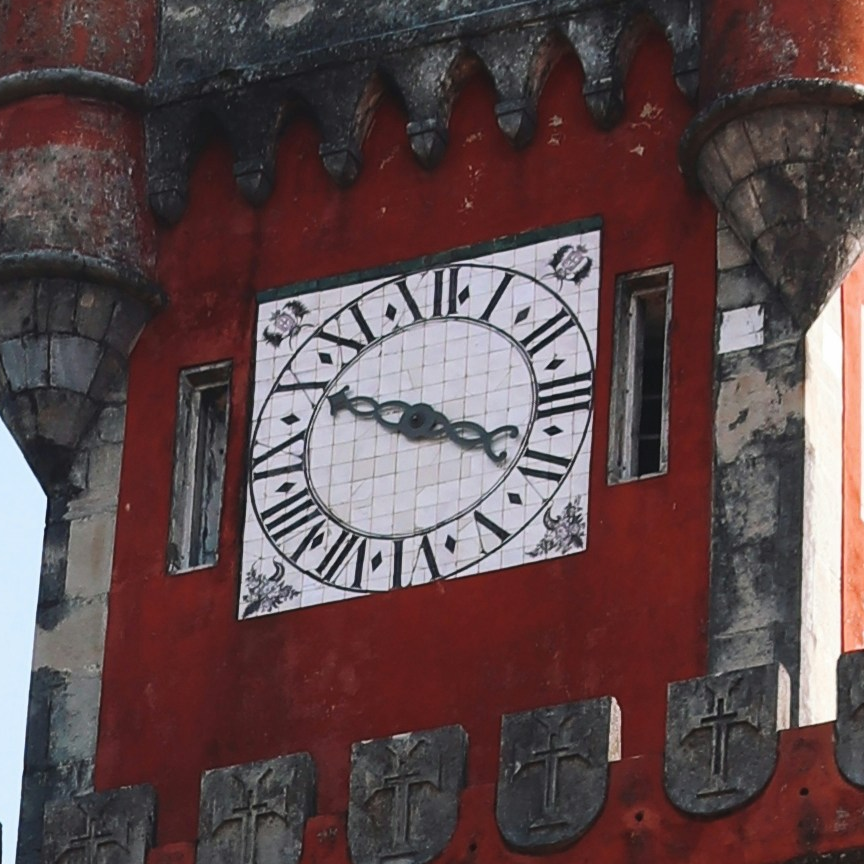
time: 3:48
